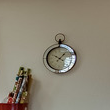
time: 10:07
